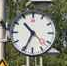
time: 10:34
